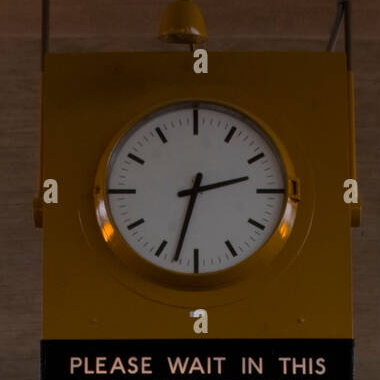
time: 2:32
